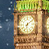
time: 6:08
